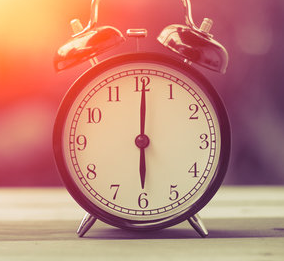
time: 6:00
